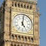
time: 5:01
